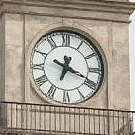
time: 6:19
